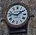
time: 1:46
